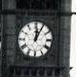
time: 12:04
